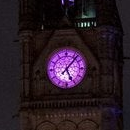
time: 5:06
